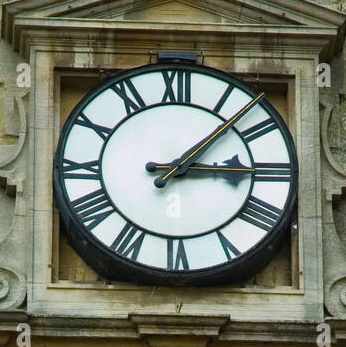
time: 3:07
